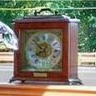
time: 7:52
